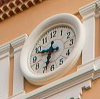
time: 9:33
